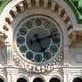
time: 5:12
